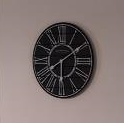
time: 6:09
